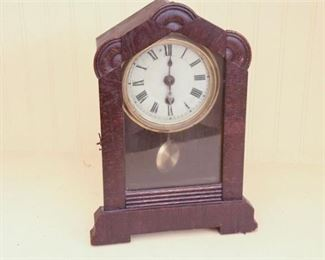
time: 6:01
